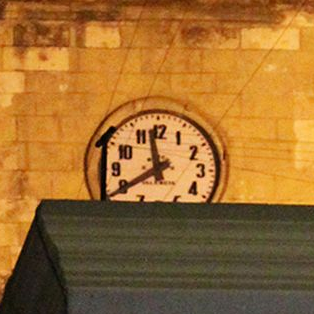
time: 11:39
